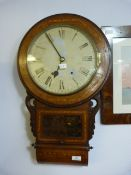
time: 6:54
